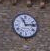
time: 11:13
